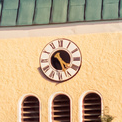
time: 4:26
